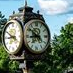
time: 8:51
